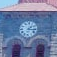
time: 1:16
